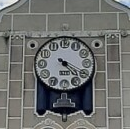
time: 4:19
